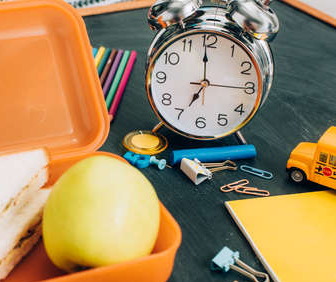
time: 6:59
